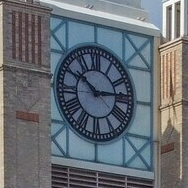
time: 10:14
